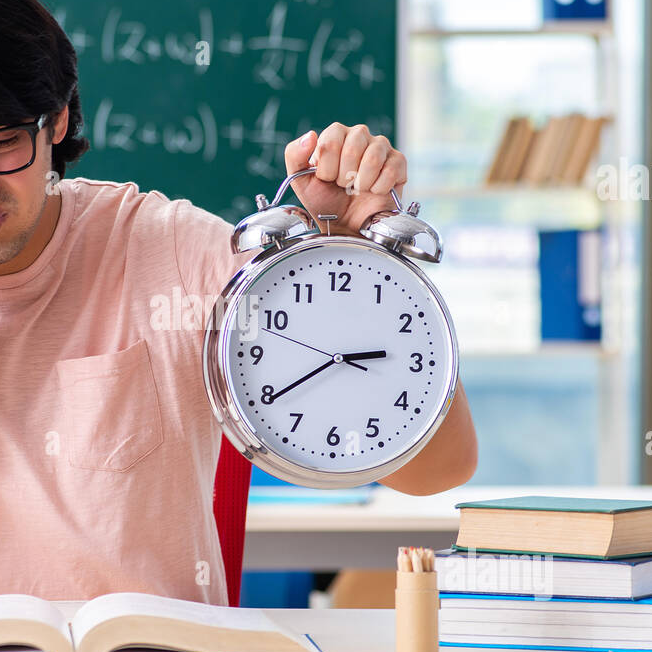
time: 2:39
